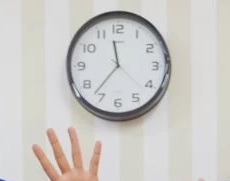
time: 11:36
